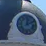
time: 12:10
